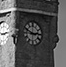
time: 2:48
